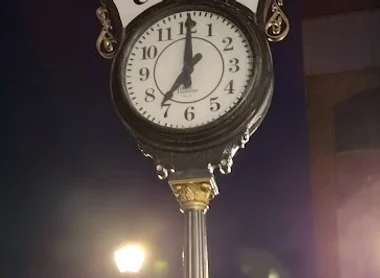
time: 7:00
